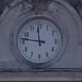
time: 11:46
